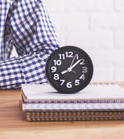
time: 8:08
